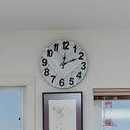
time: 12:10
